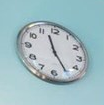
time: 11:24
